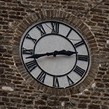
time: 2:42
